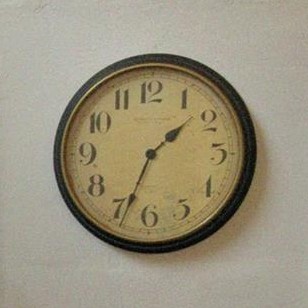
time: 1:33
